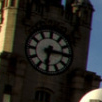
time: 6:15
